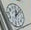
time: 12:07
